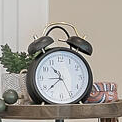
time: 10:37
